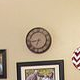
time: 6:43
